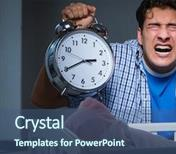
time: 2:40
